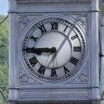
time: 8:45
